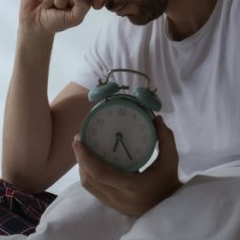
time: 6:24
